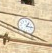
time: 1:16
